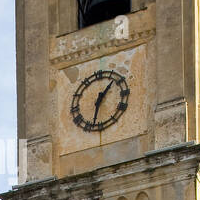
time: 1:32
